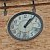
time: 1:06
